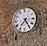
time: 7:24
